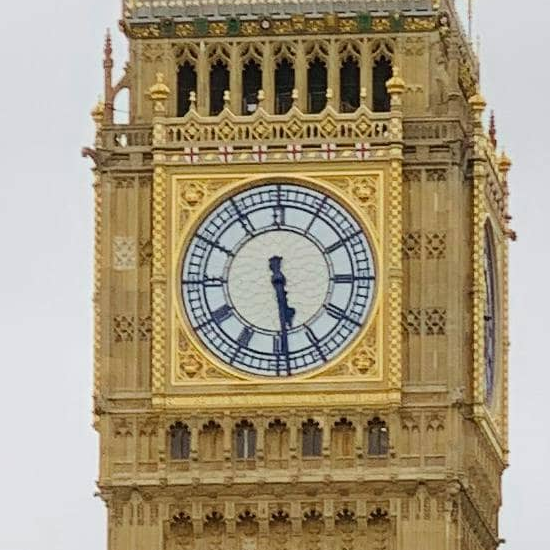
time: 5:29
